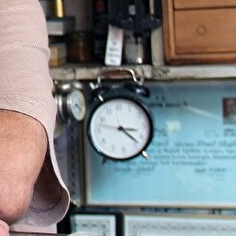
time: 3:22
